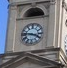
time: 3:46
